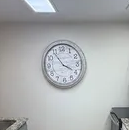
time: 3:54
